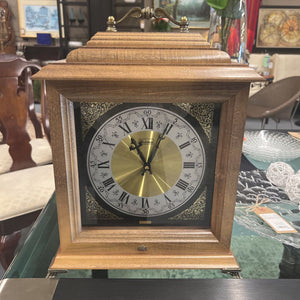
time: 11:03
